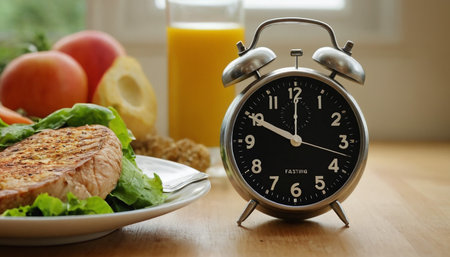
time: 10:00
